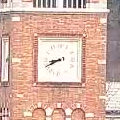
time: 8:40
